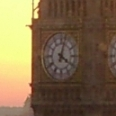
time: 4:02
